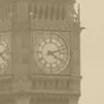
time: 4:12
